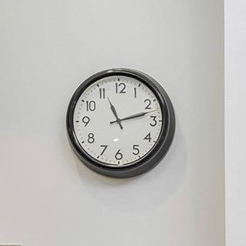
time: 11:12
